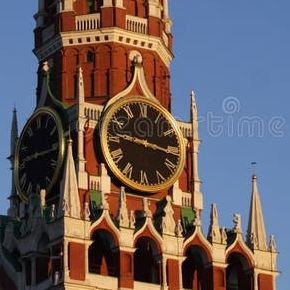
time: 9:16
